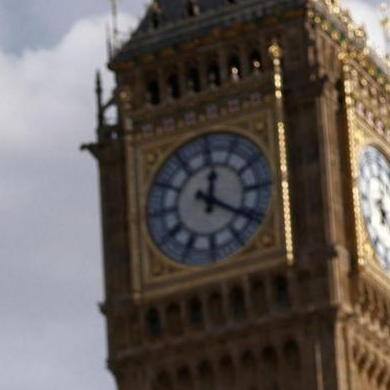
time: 12:20
